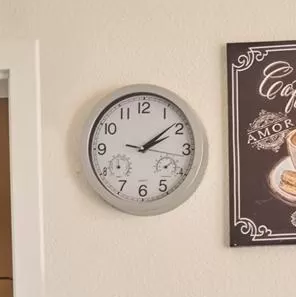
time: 2:08
